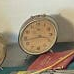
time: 3:43
